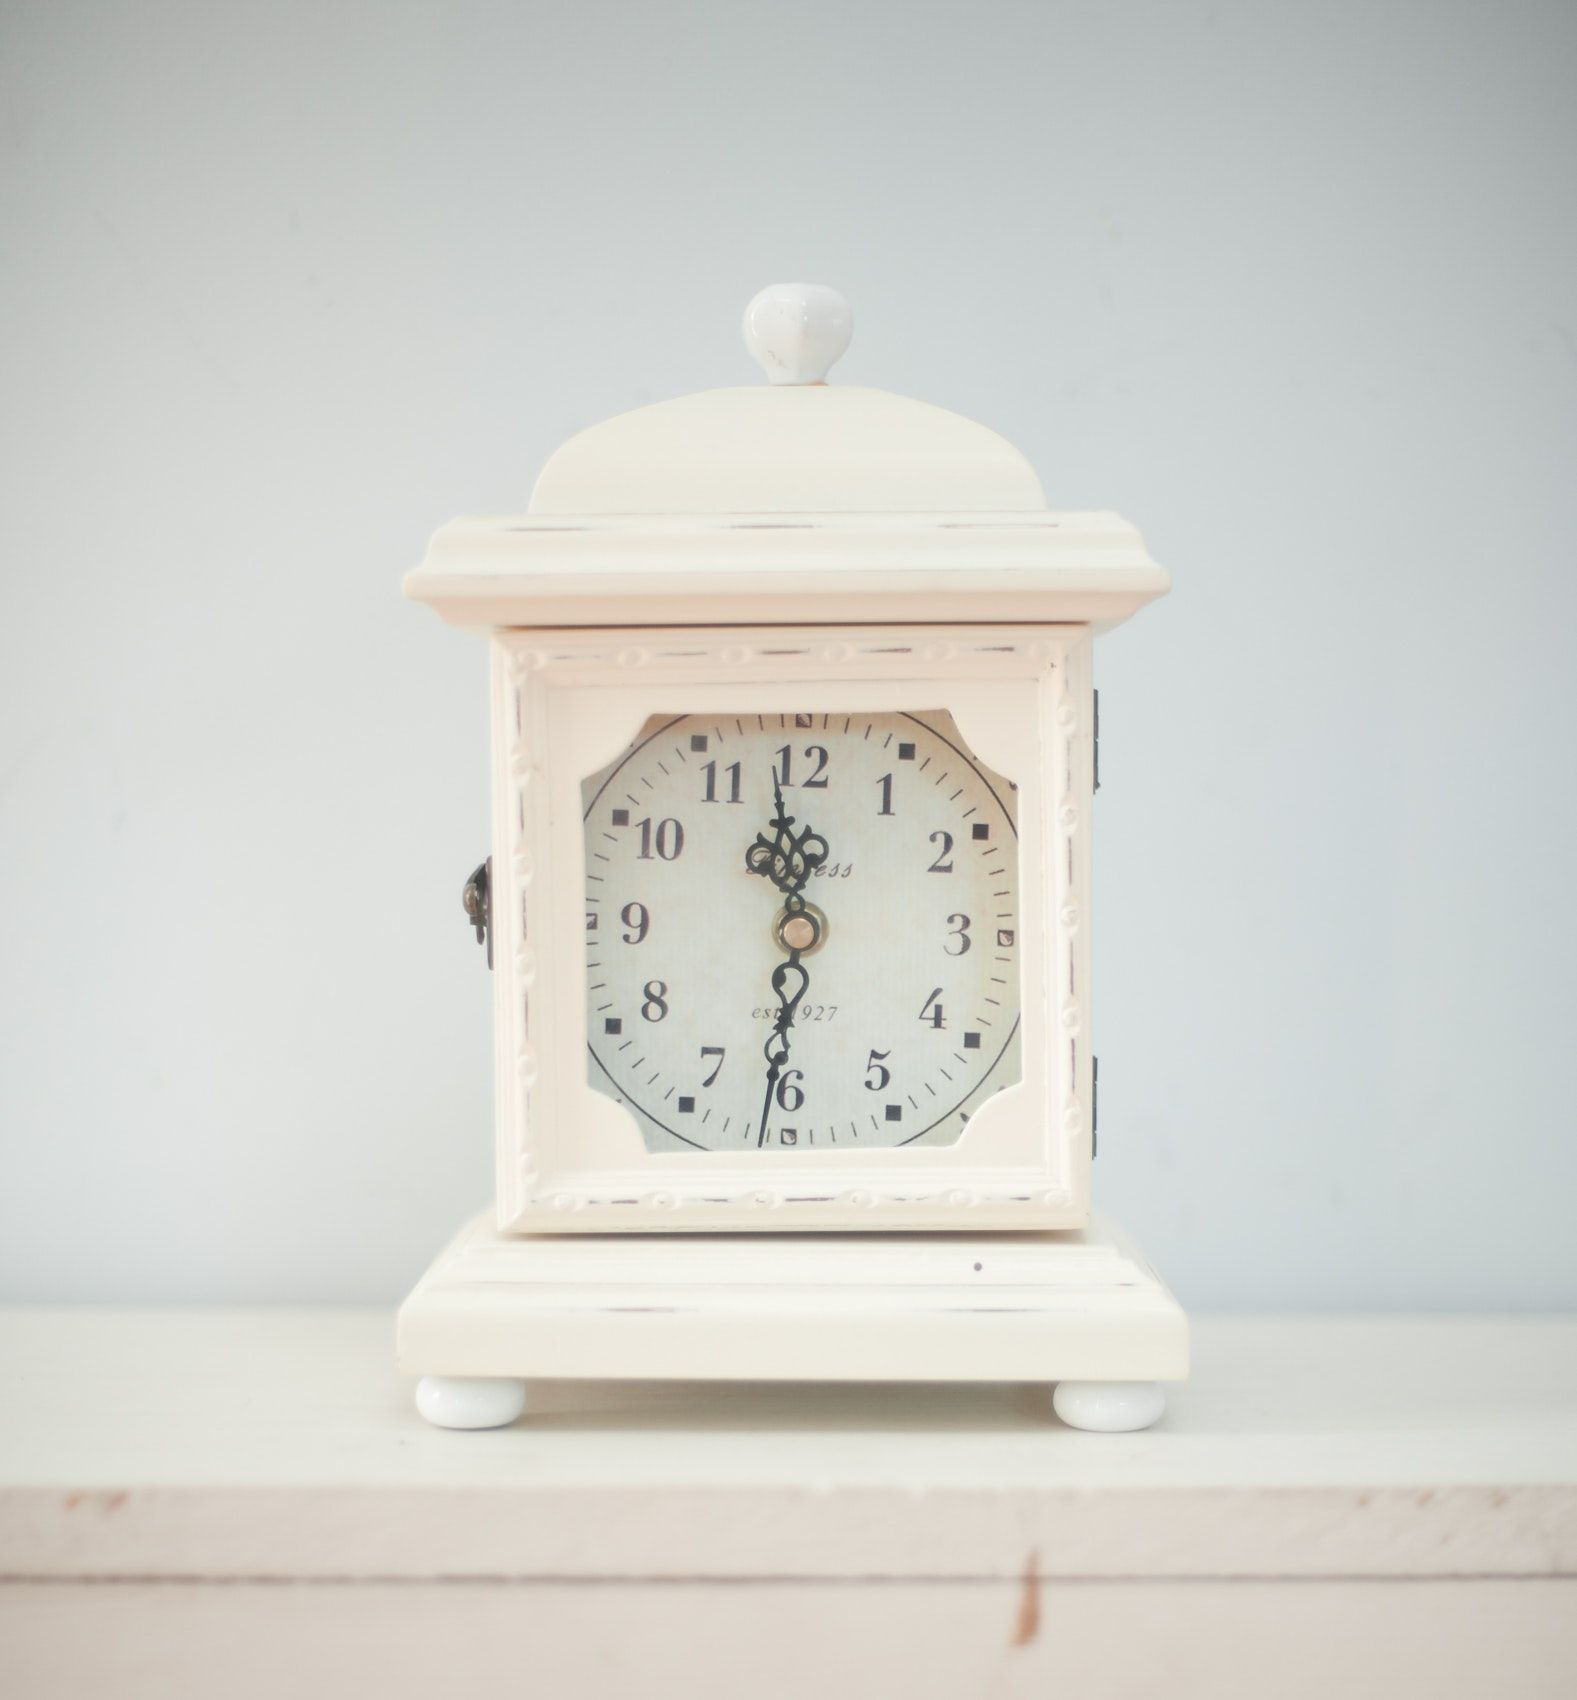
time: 11:31
